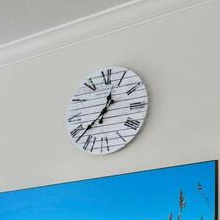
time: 12:37
